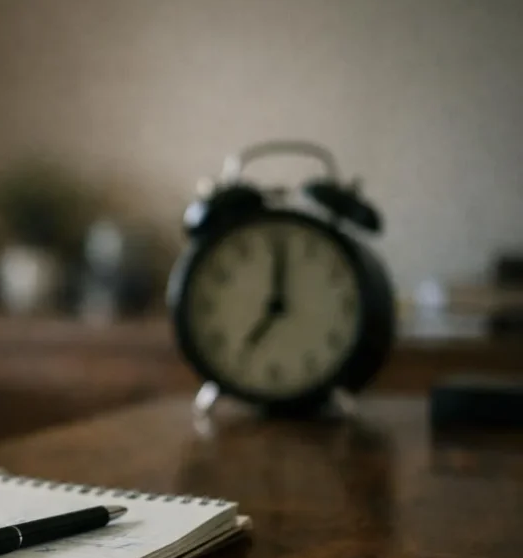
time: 7:01
